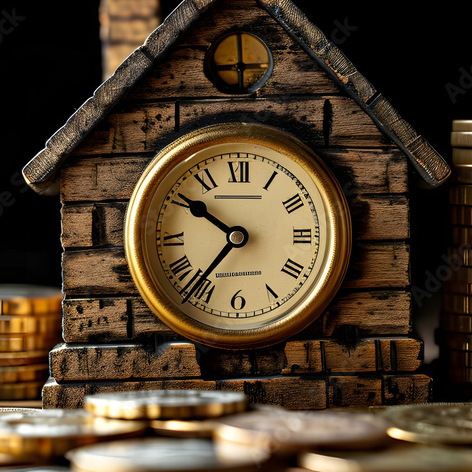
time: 10:36
